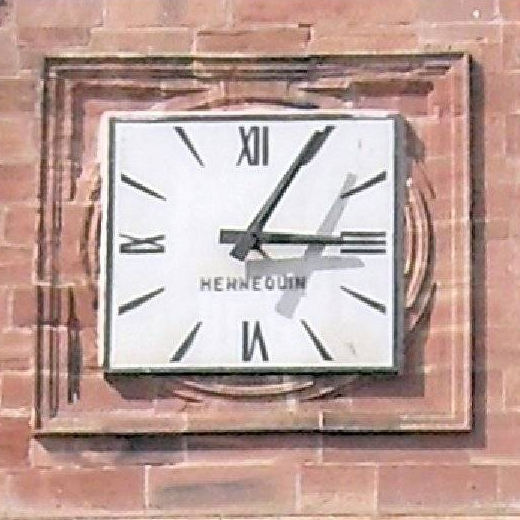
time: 3:04
